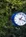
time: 1:18
